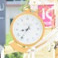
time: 8:36
